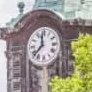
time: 11:37
